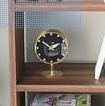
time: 1:50
